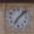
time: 7:07
